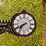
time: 7:40
